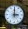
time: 2:59
